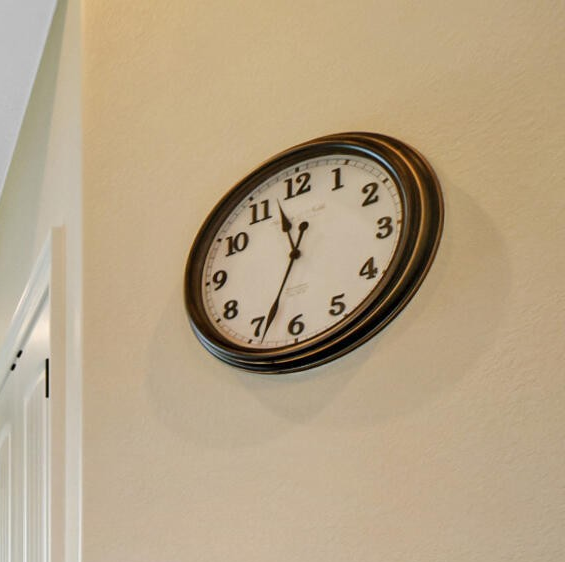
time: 11:33
